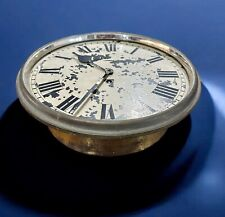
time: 10:34
